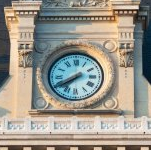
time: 7:40
